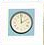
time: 1:59
